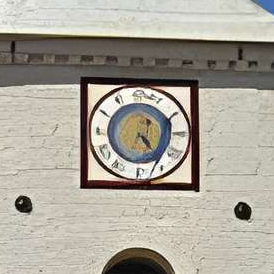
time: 4:23
